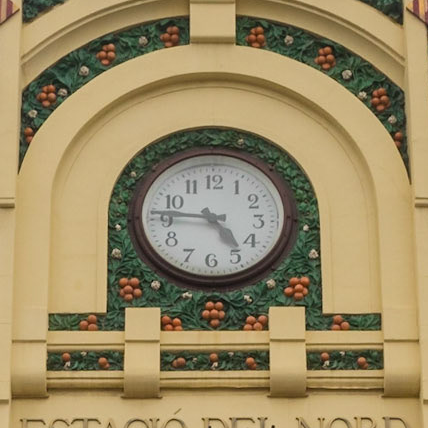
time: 4:46
